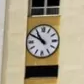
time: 10:50
